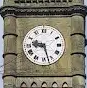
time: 9:27
